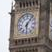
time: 6:06
